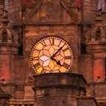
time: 4:07
